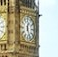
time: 12:26
